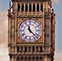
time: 11:22
